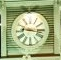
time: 9:16
